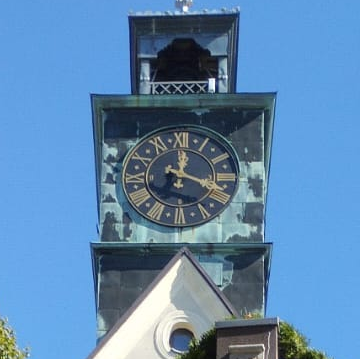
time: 12:18
